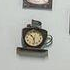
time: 10:28
